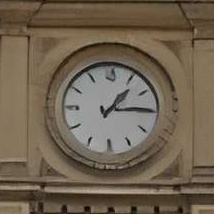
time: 1:14
